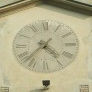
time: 4:37
